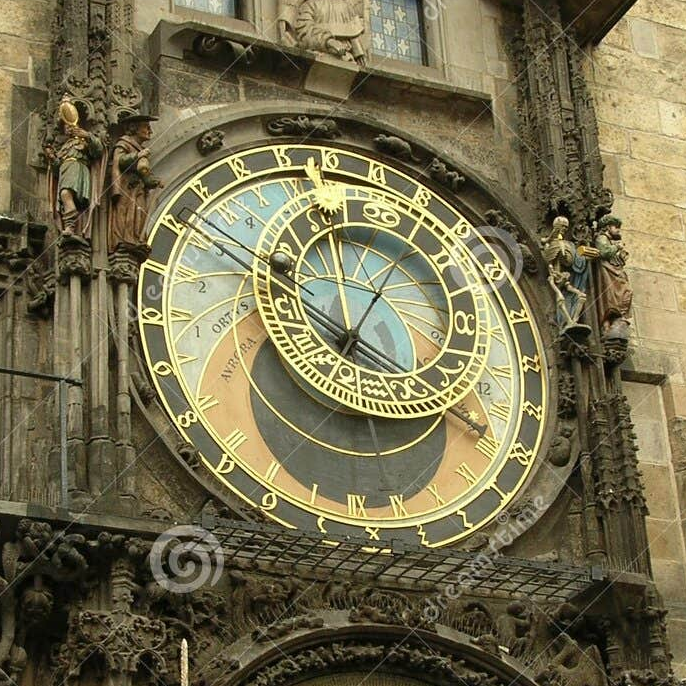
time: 6:58
